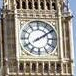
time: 2:09
